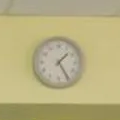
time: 1:24
